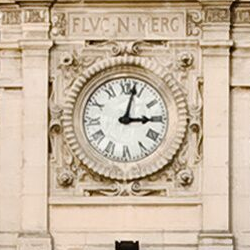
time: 3:02
